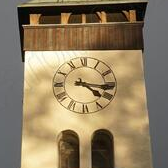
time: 4:16
